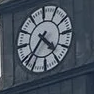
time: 4:37
